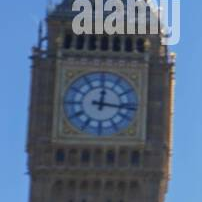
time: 12:16
